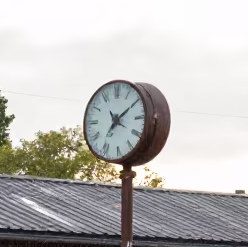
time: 7:09
